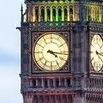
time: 4:16
